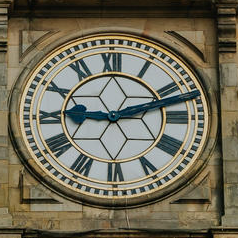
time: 9:12
